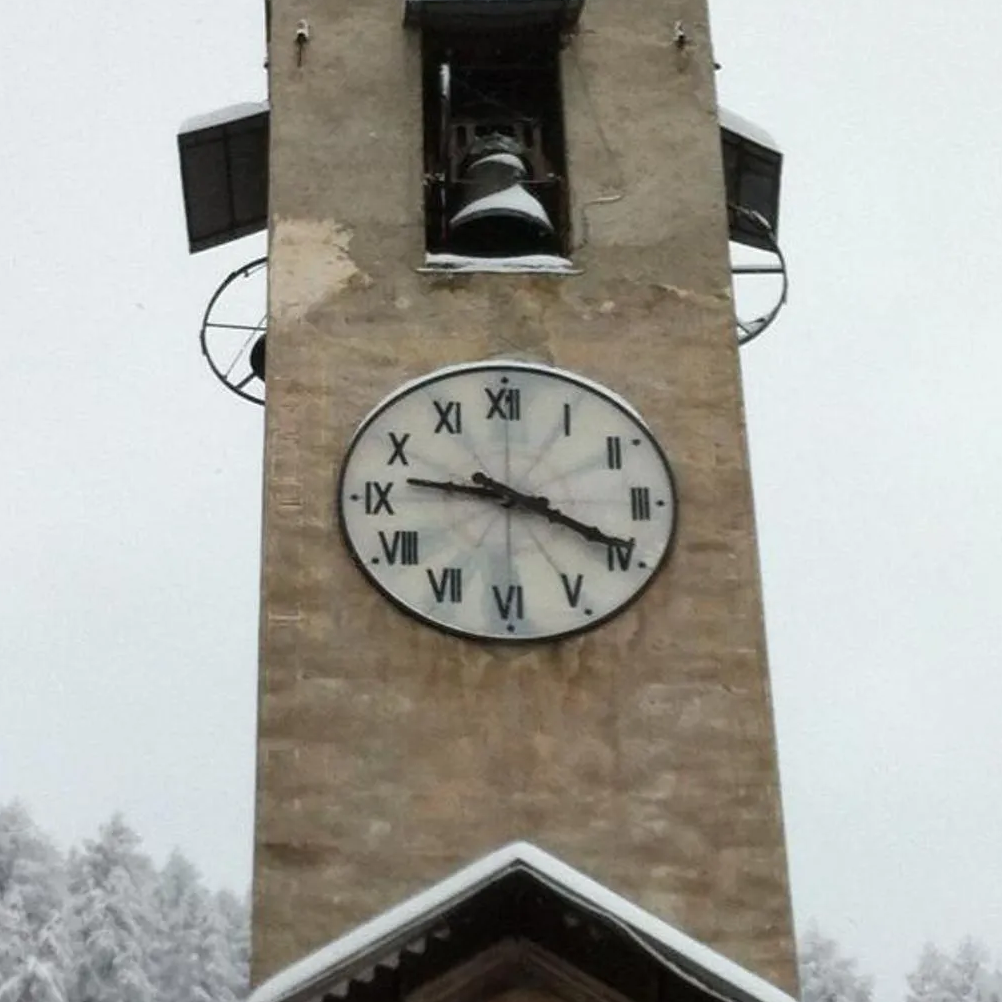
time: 9:19
